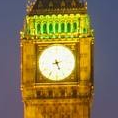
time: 5:12
